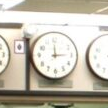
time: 2:59
